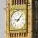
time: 9:07
